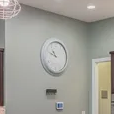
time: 10:48
